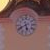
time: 5:40
